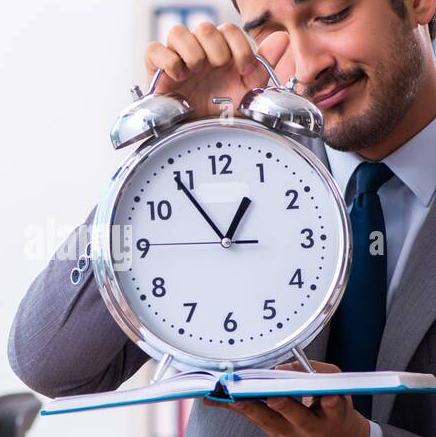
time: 12:54
